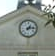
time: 1:13
